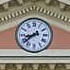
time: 8:38
